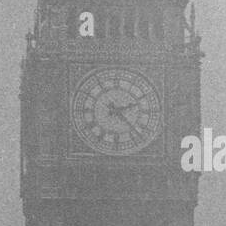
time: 2:22
